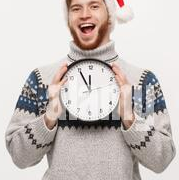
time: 11:55
